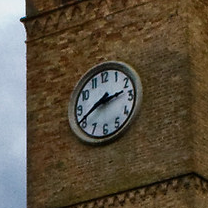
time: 2:40
